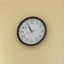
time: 10:55
